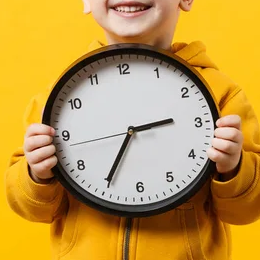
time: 2:34
